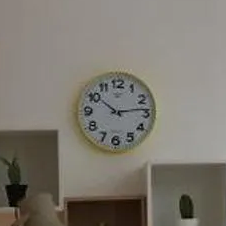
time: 10:13
